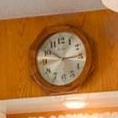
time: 10:14
